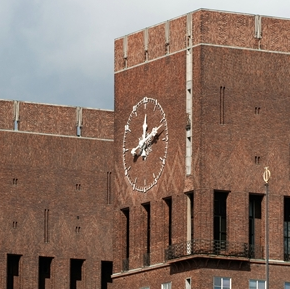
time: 12:11
